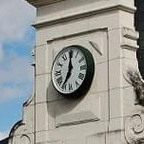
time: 7:00
